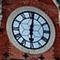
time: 6:01
